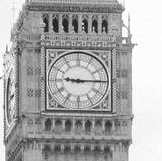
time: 9:14
